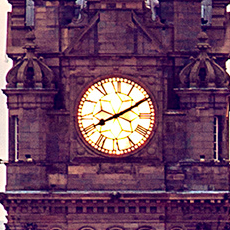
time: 8:10
